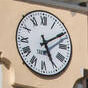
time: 5:09
